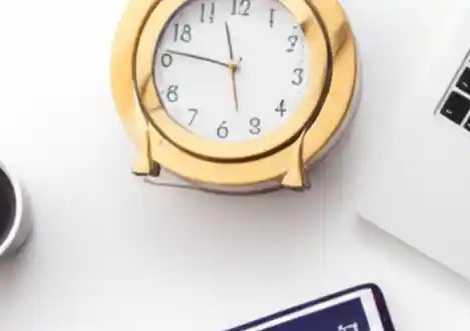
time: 11:46
